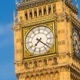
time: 7:21
